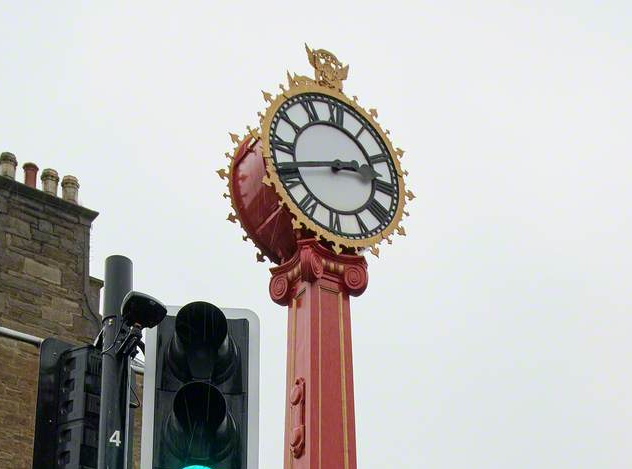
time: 2:41
